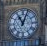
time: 11:03
